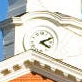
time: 4:11
